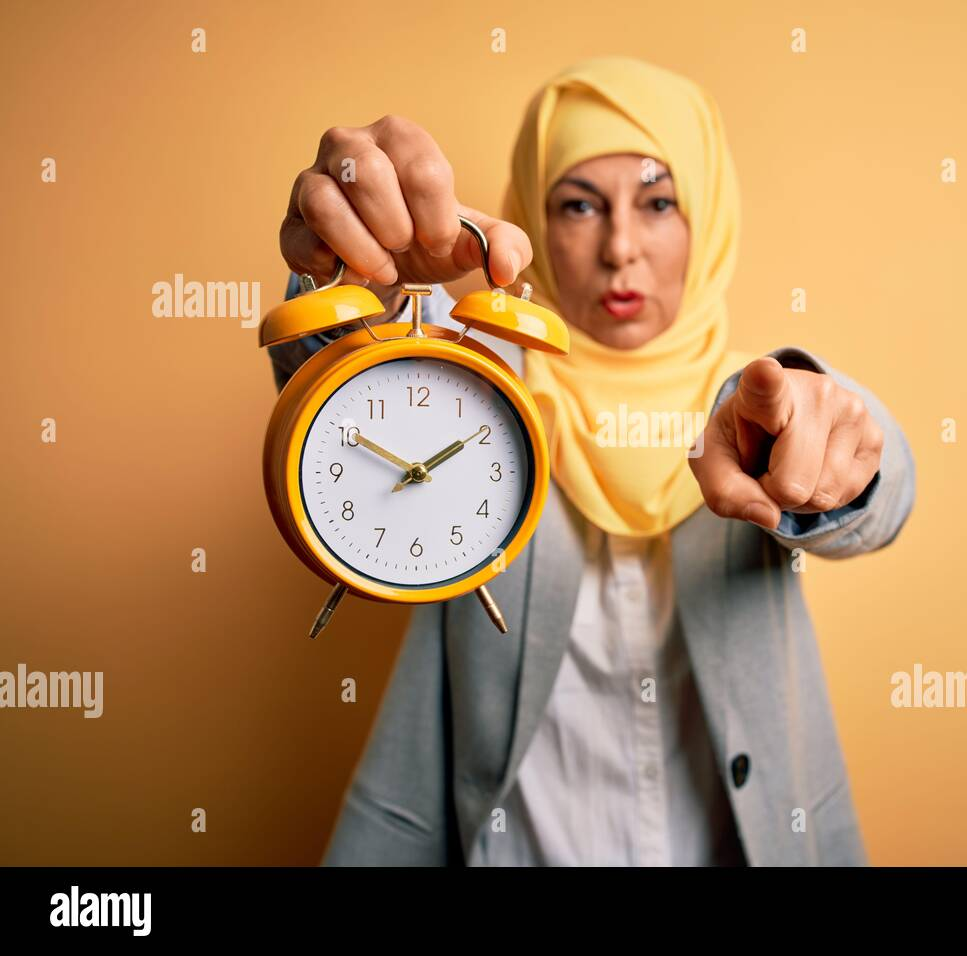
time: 1:50
